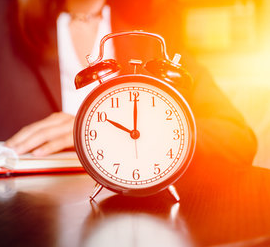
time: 10:00
